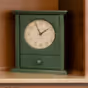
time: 1:56
